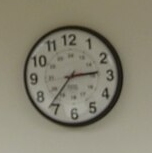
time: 2:36
